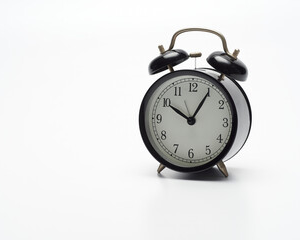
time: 10:05
